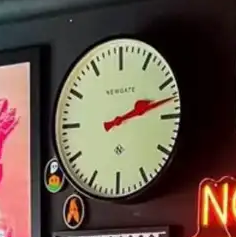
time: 2:12
